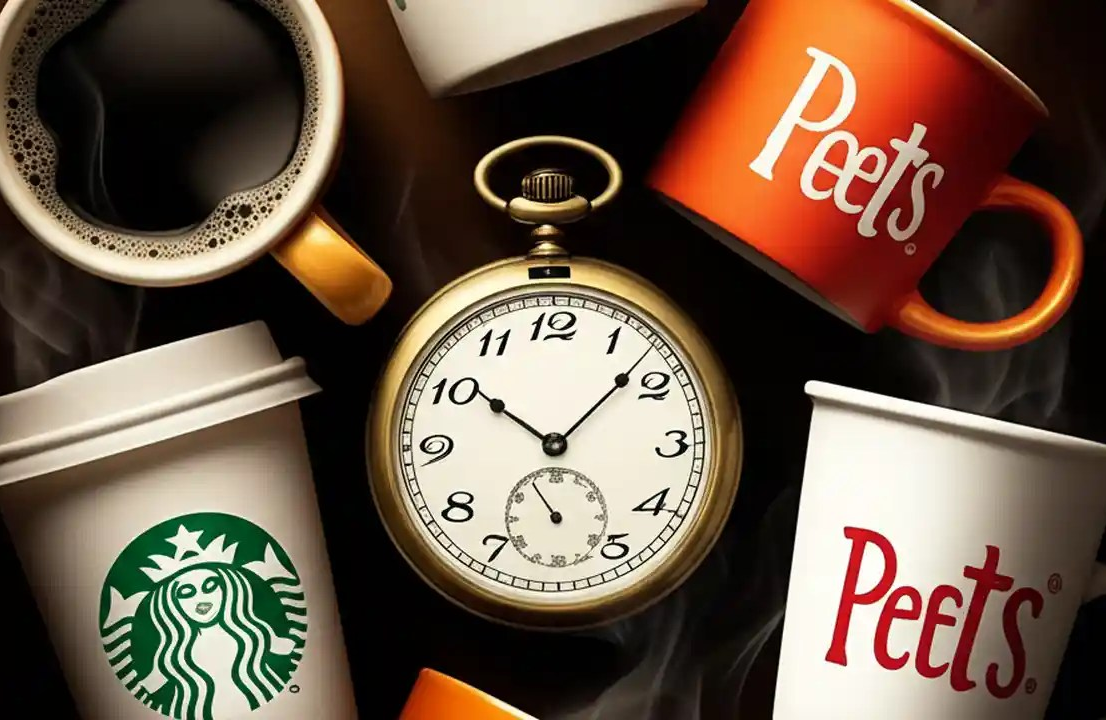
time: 10:07
